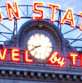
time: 8:40
